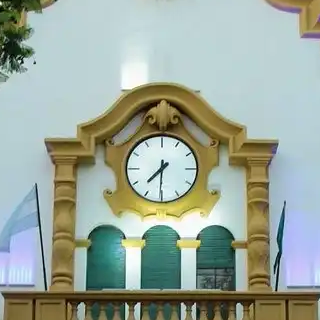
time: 7:30
